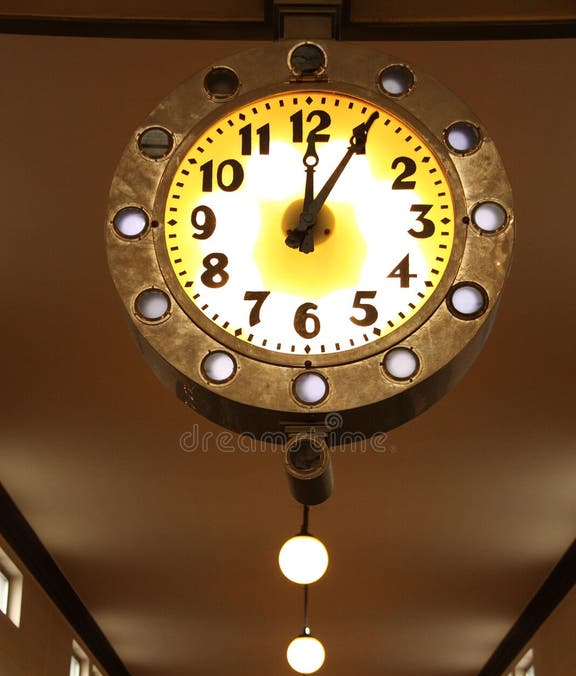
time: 12:04
